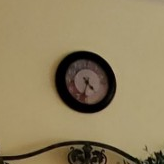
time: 4:33
